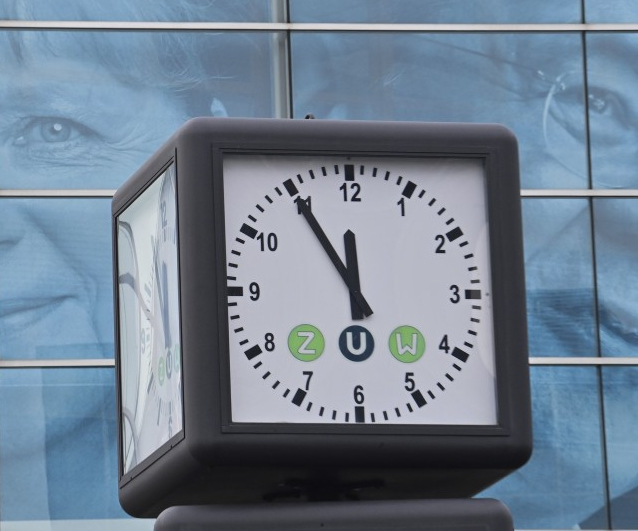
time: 11:54
